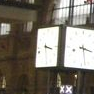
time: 3:17
